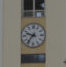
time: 9:36
